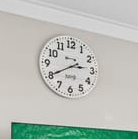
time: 2:40
